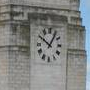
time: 10:05
